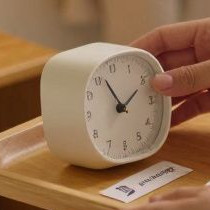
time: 1:56
